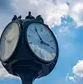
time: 2:53
